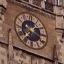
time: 1:37
